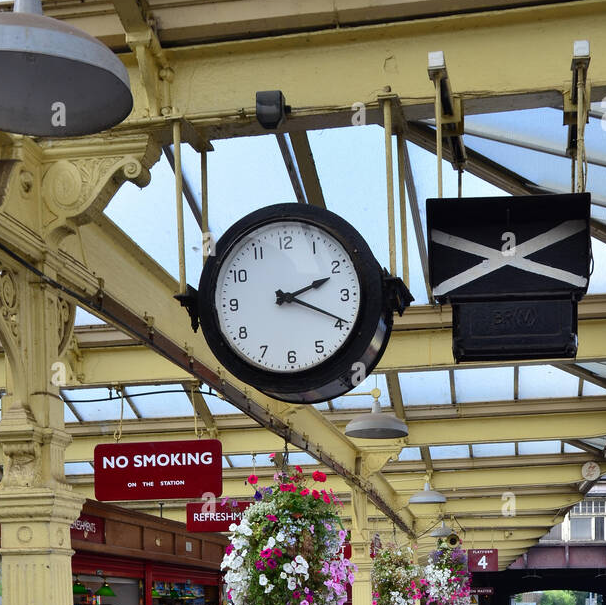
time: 2:18
